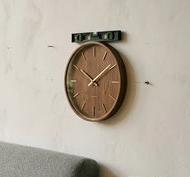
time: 10:08
